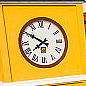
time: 7:50
